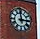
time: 2:59
